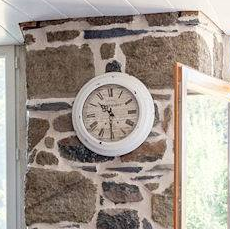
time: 10:30
